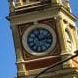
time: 11:12
